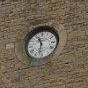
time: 11:32
